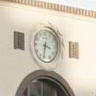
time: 3:32
